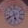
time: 5:40
